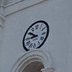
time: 8:50
